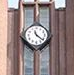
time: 11:21
